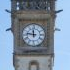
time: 11:46
